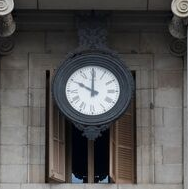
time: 10:00
